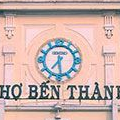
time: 7:28
